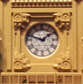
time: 1:48
